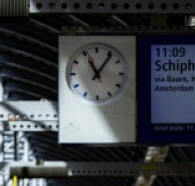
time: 11:06
